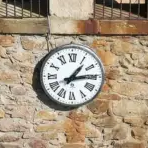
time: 1:13
